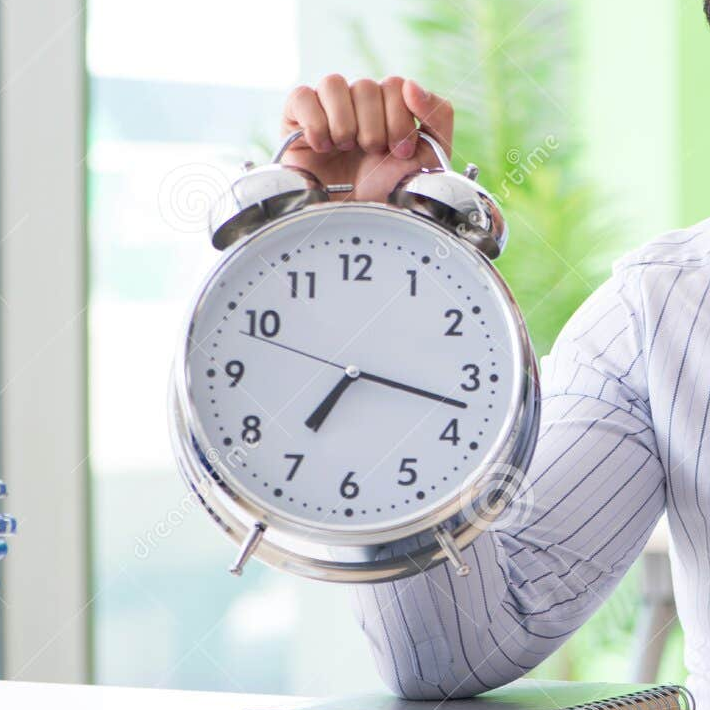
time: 7:17
